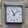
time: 11:07
